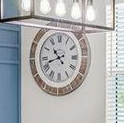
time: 10:42
